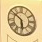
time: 5:51
